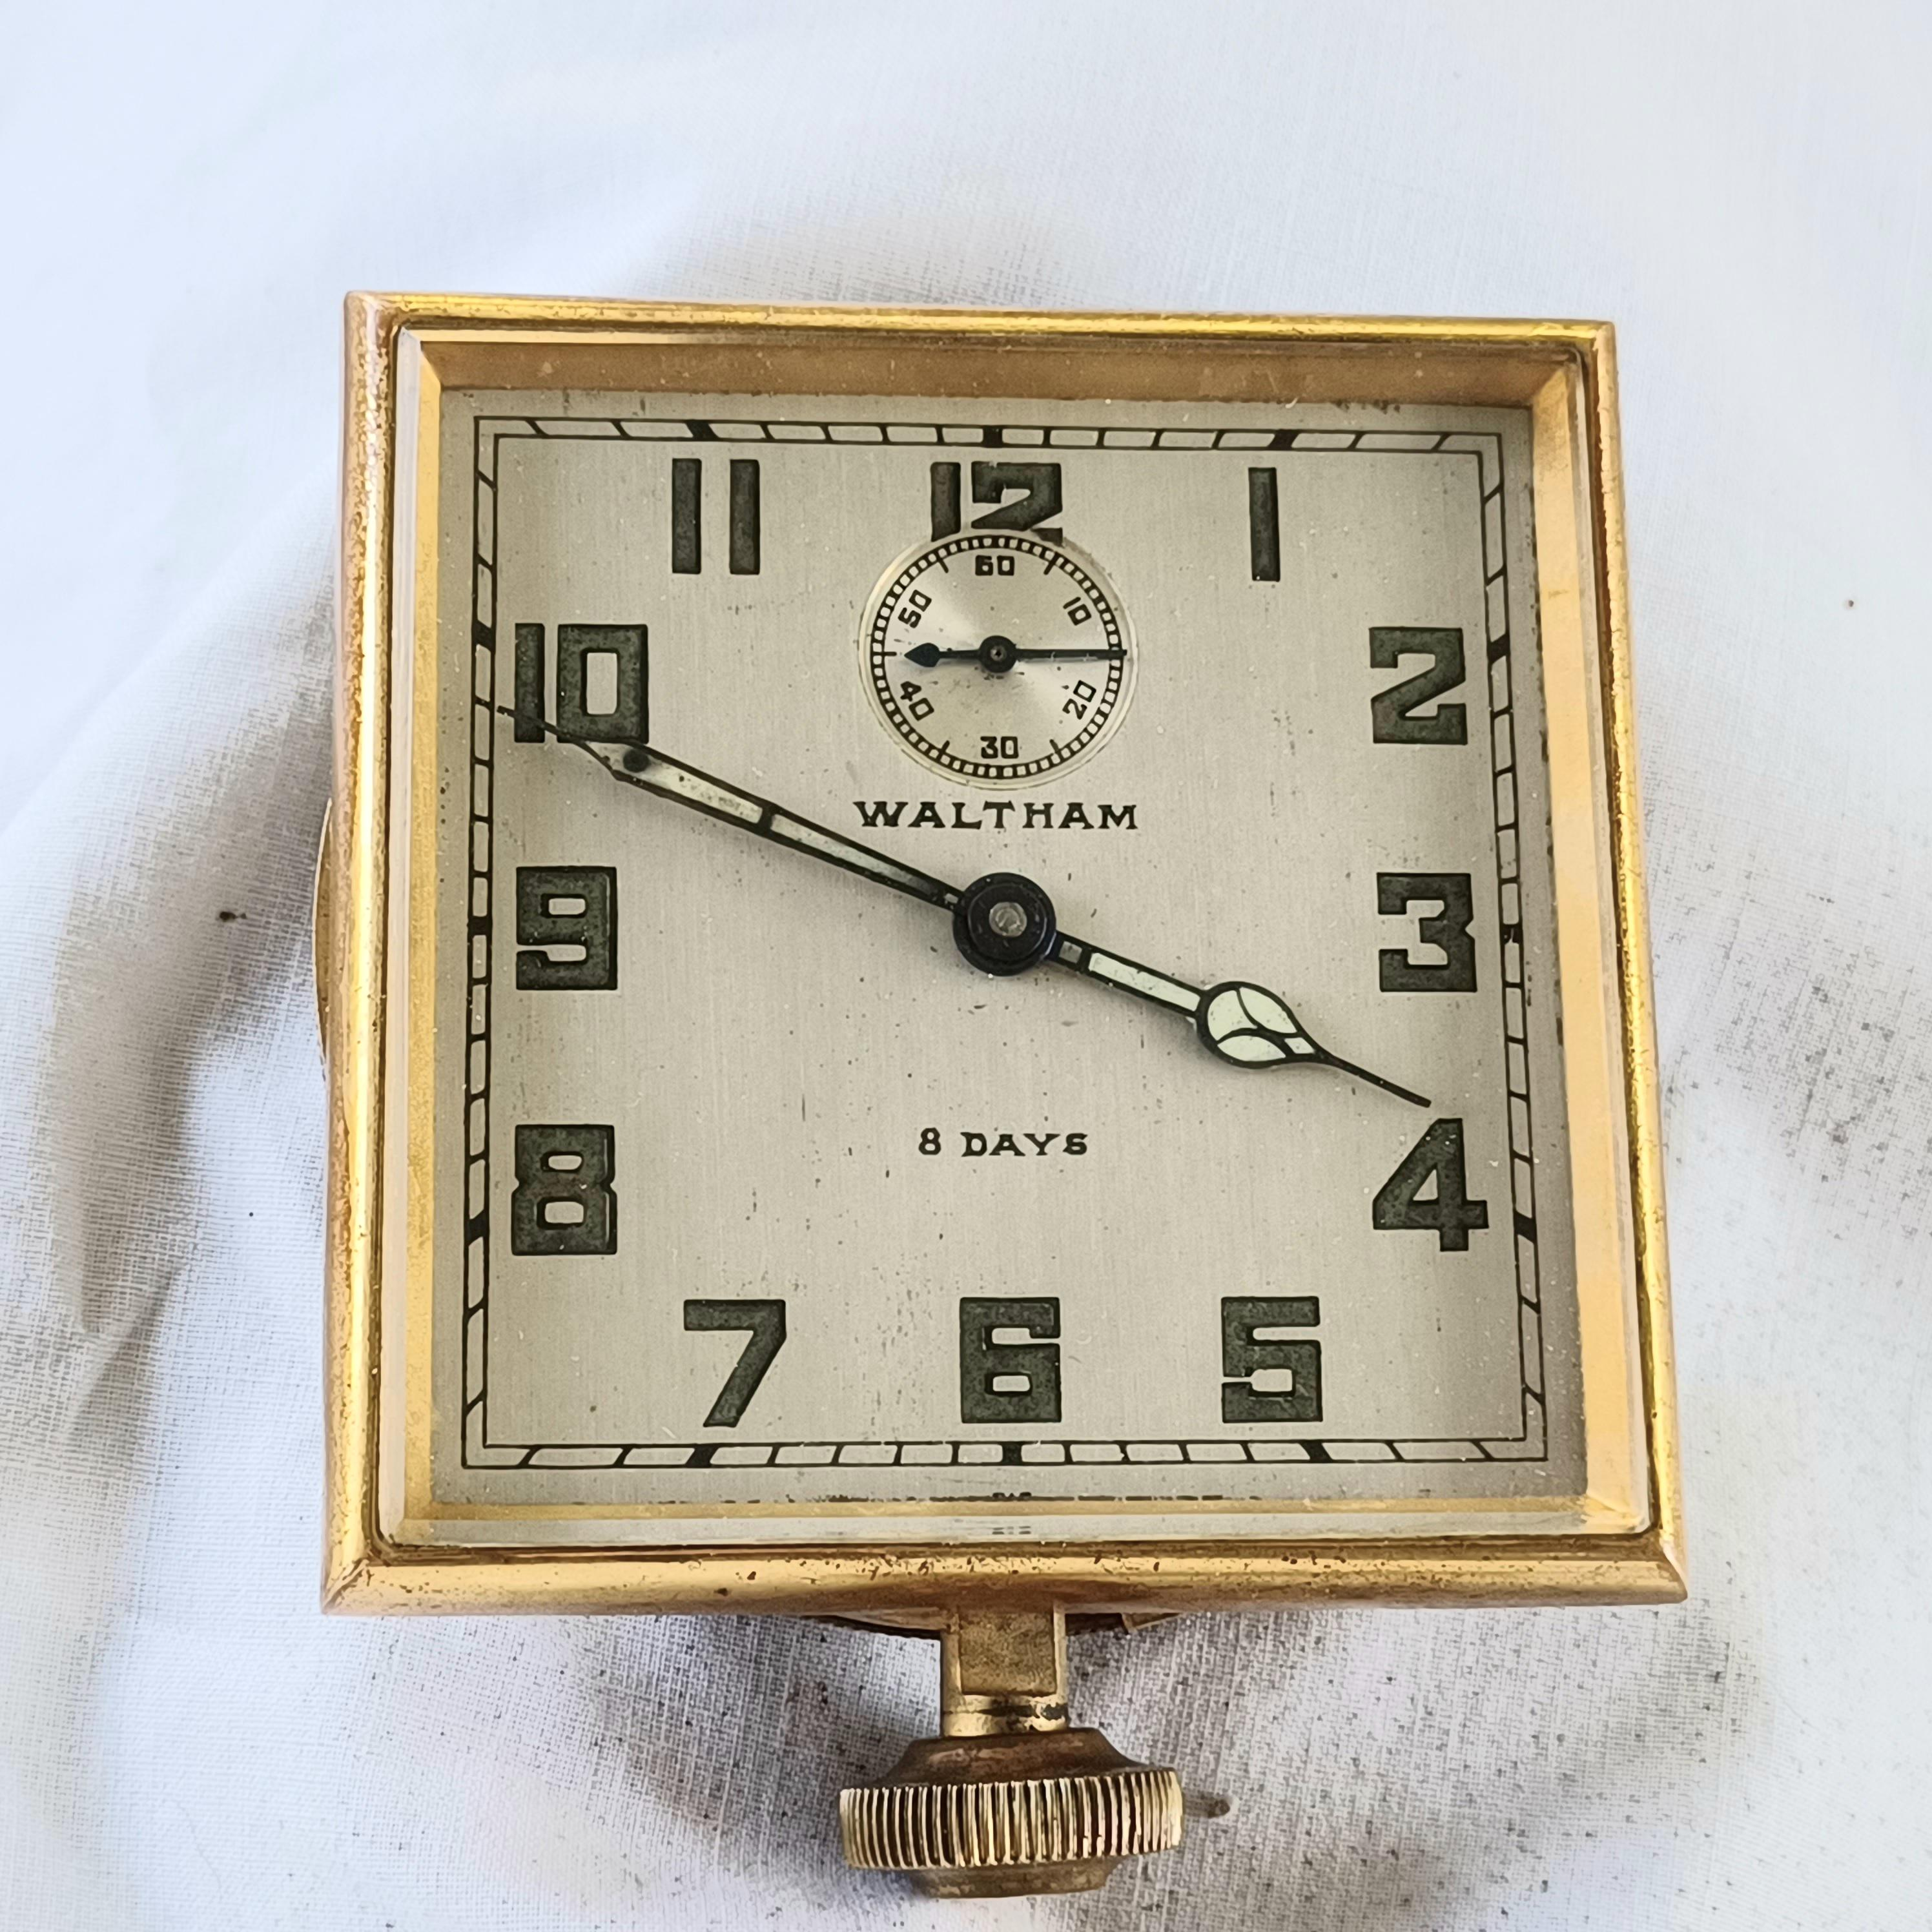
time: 3:48
